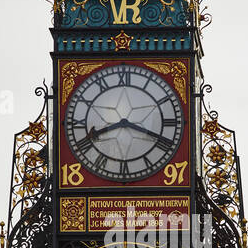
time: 8:18
